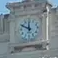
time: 11:49
